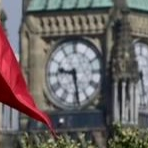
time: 9:28
